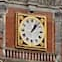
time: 1:07
